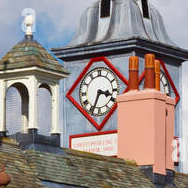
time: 3:34
